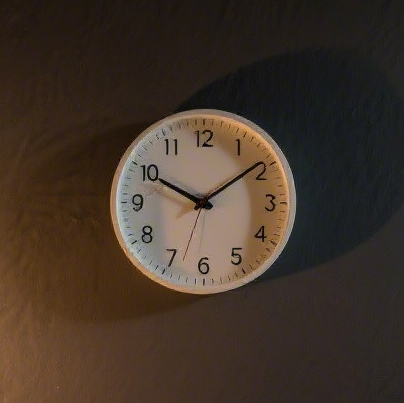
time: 10:09
